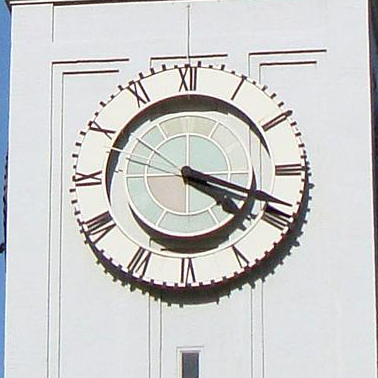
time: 4:18
